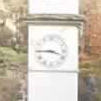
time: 3:45
